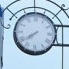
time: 7:39
